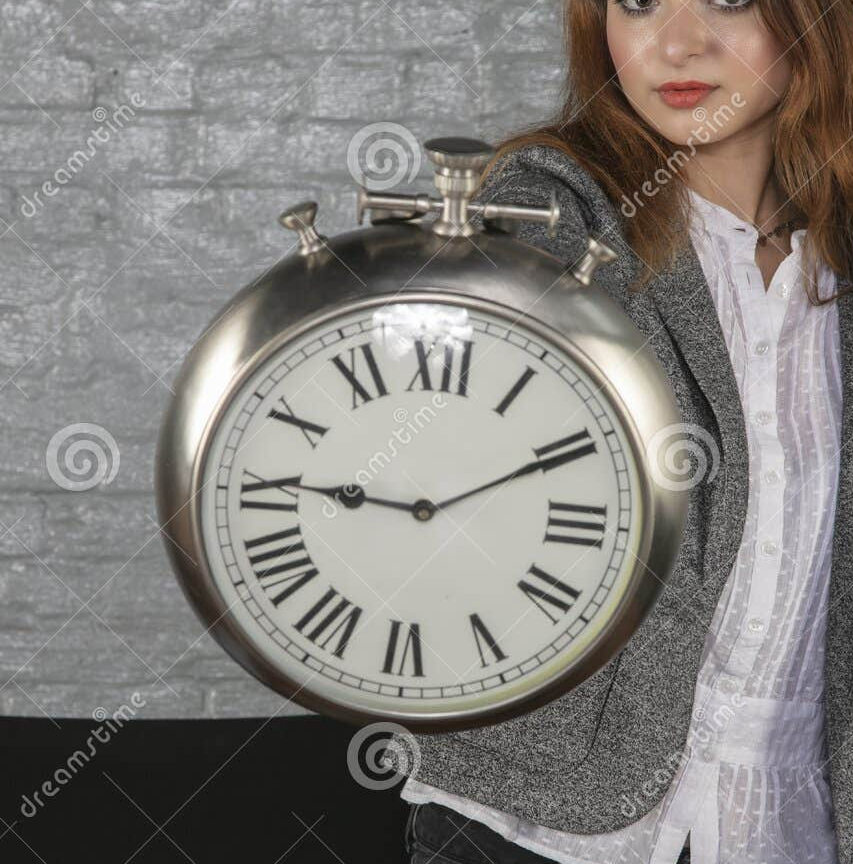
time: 9:10
